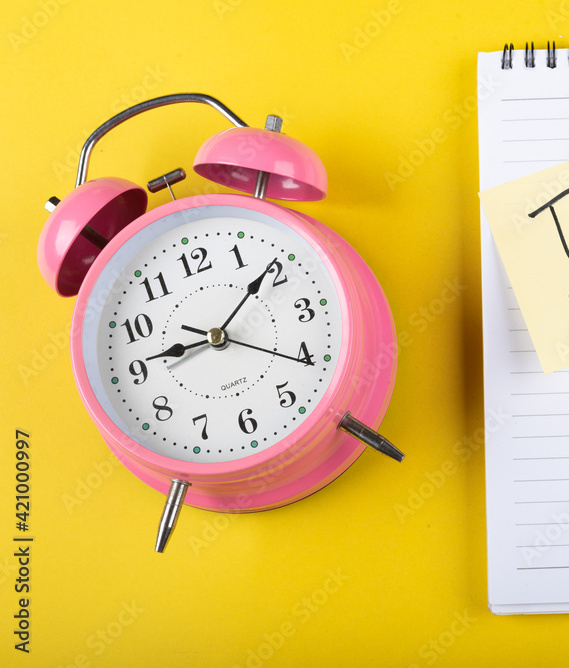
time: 9:09
